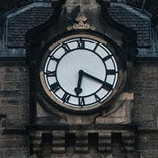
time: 6:19
